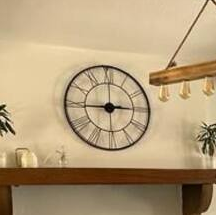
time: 2:45
